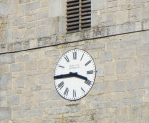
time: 3:44
